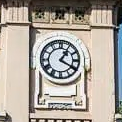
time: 1:20
